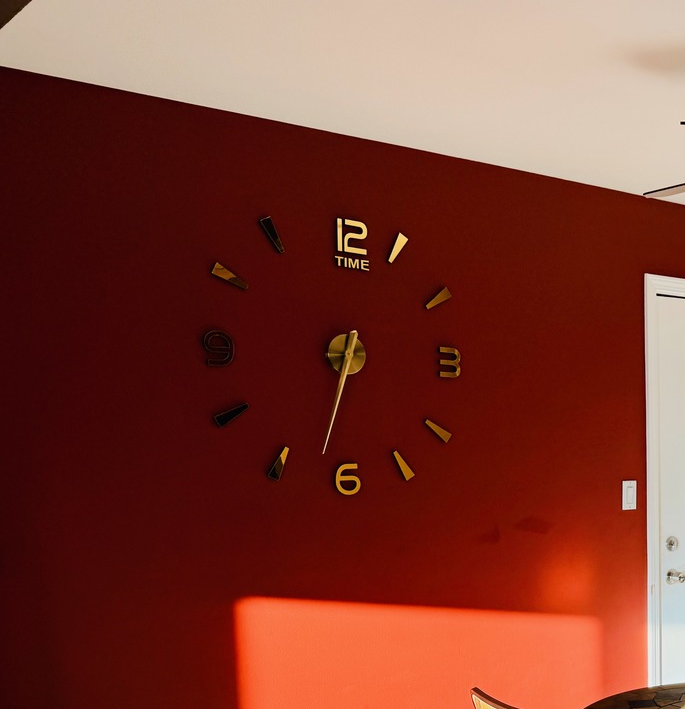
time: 6:32
